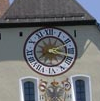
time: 2:18
